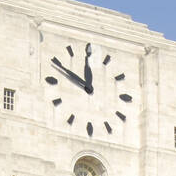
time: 11:49
